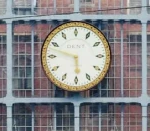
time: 5:47
